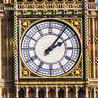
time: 2:06
